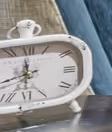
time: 7:59
